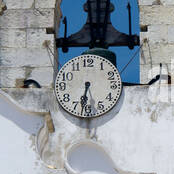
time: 6:31
